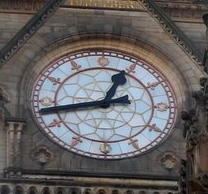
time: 12:43
